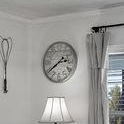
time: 2:39
